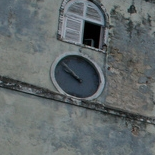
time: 9:51
